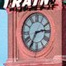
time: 2:35
